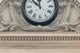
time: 11:52
